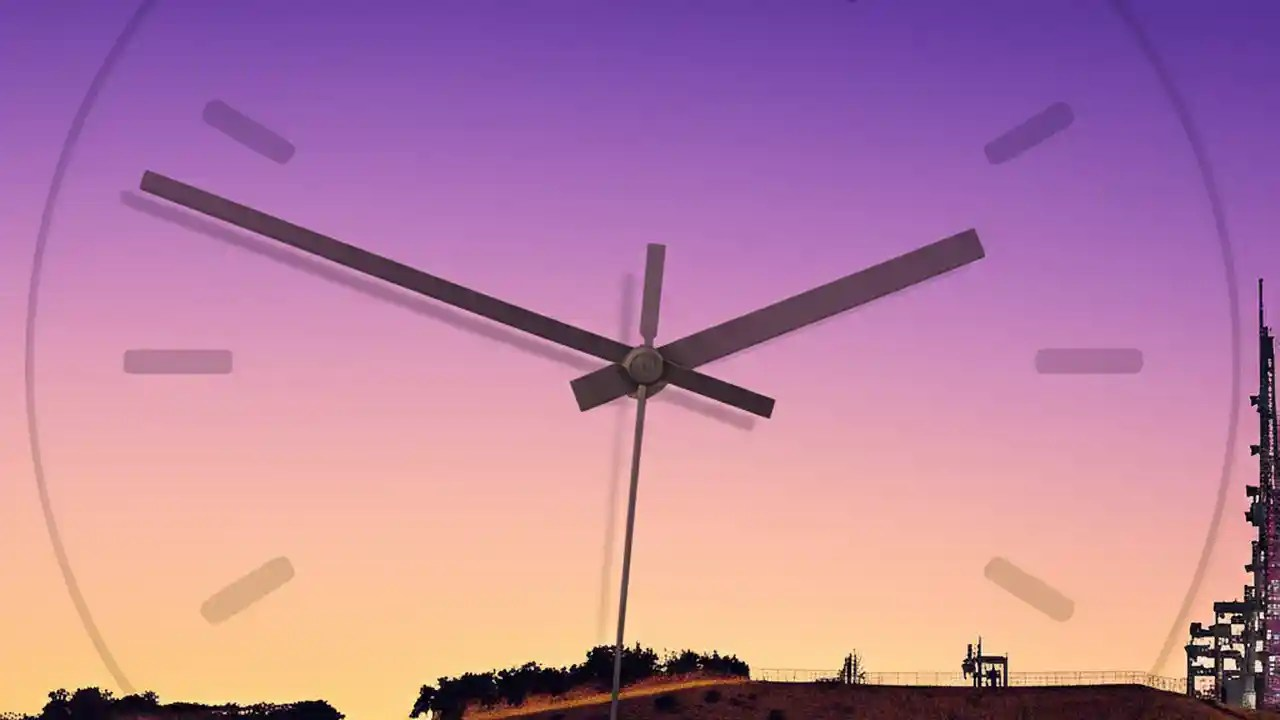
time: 1:49
